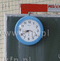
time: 8:40
